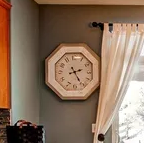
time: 2:25
